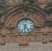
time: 6:23
